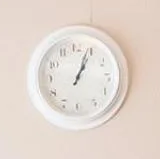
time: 1:04
